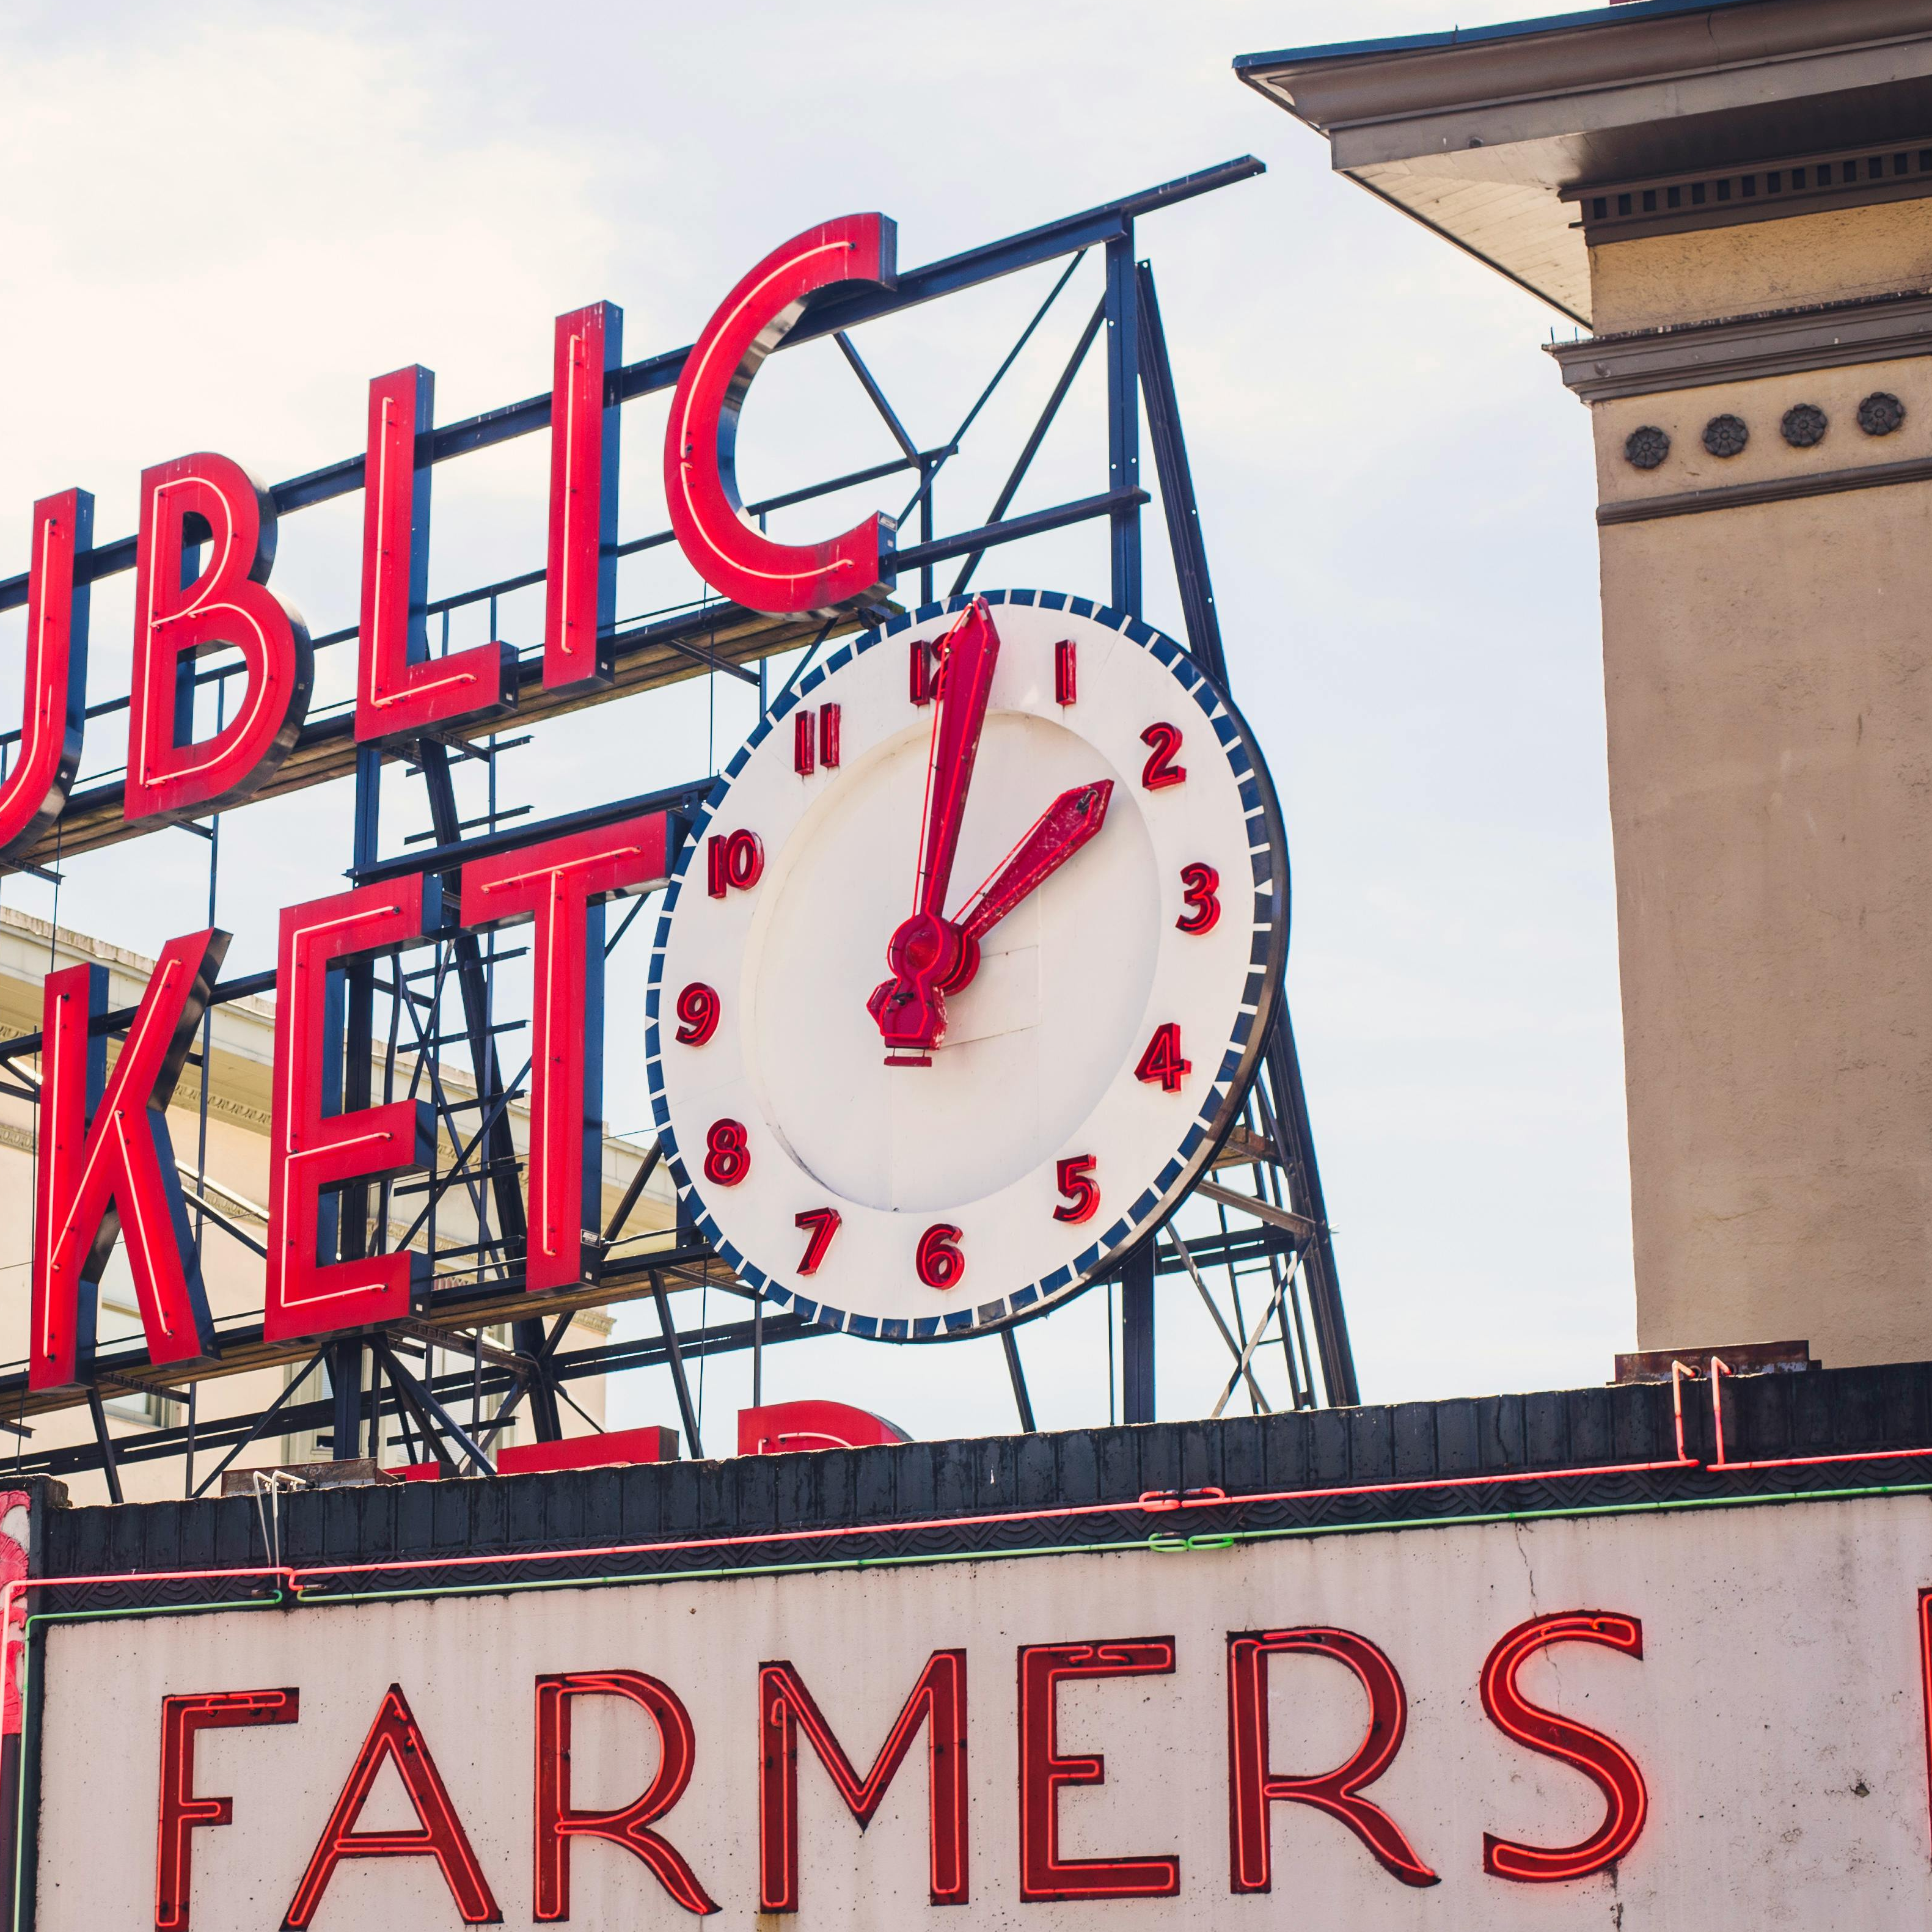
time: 2:01
